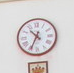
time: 10:34
